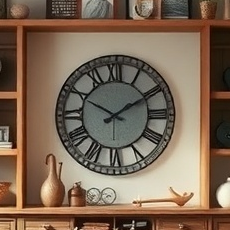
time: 1:49
